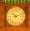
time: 10:12
